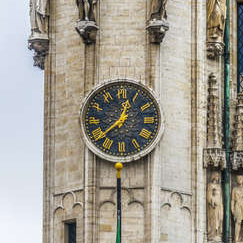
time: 12:38
